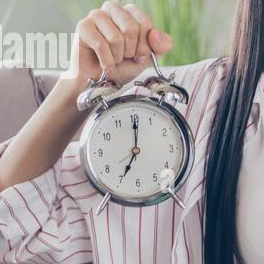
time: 7:00
